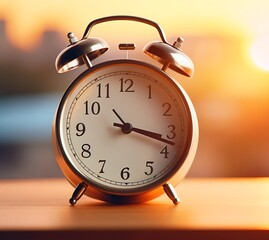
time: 3:18
